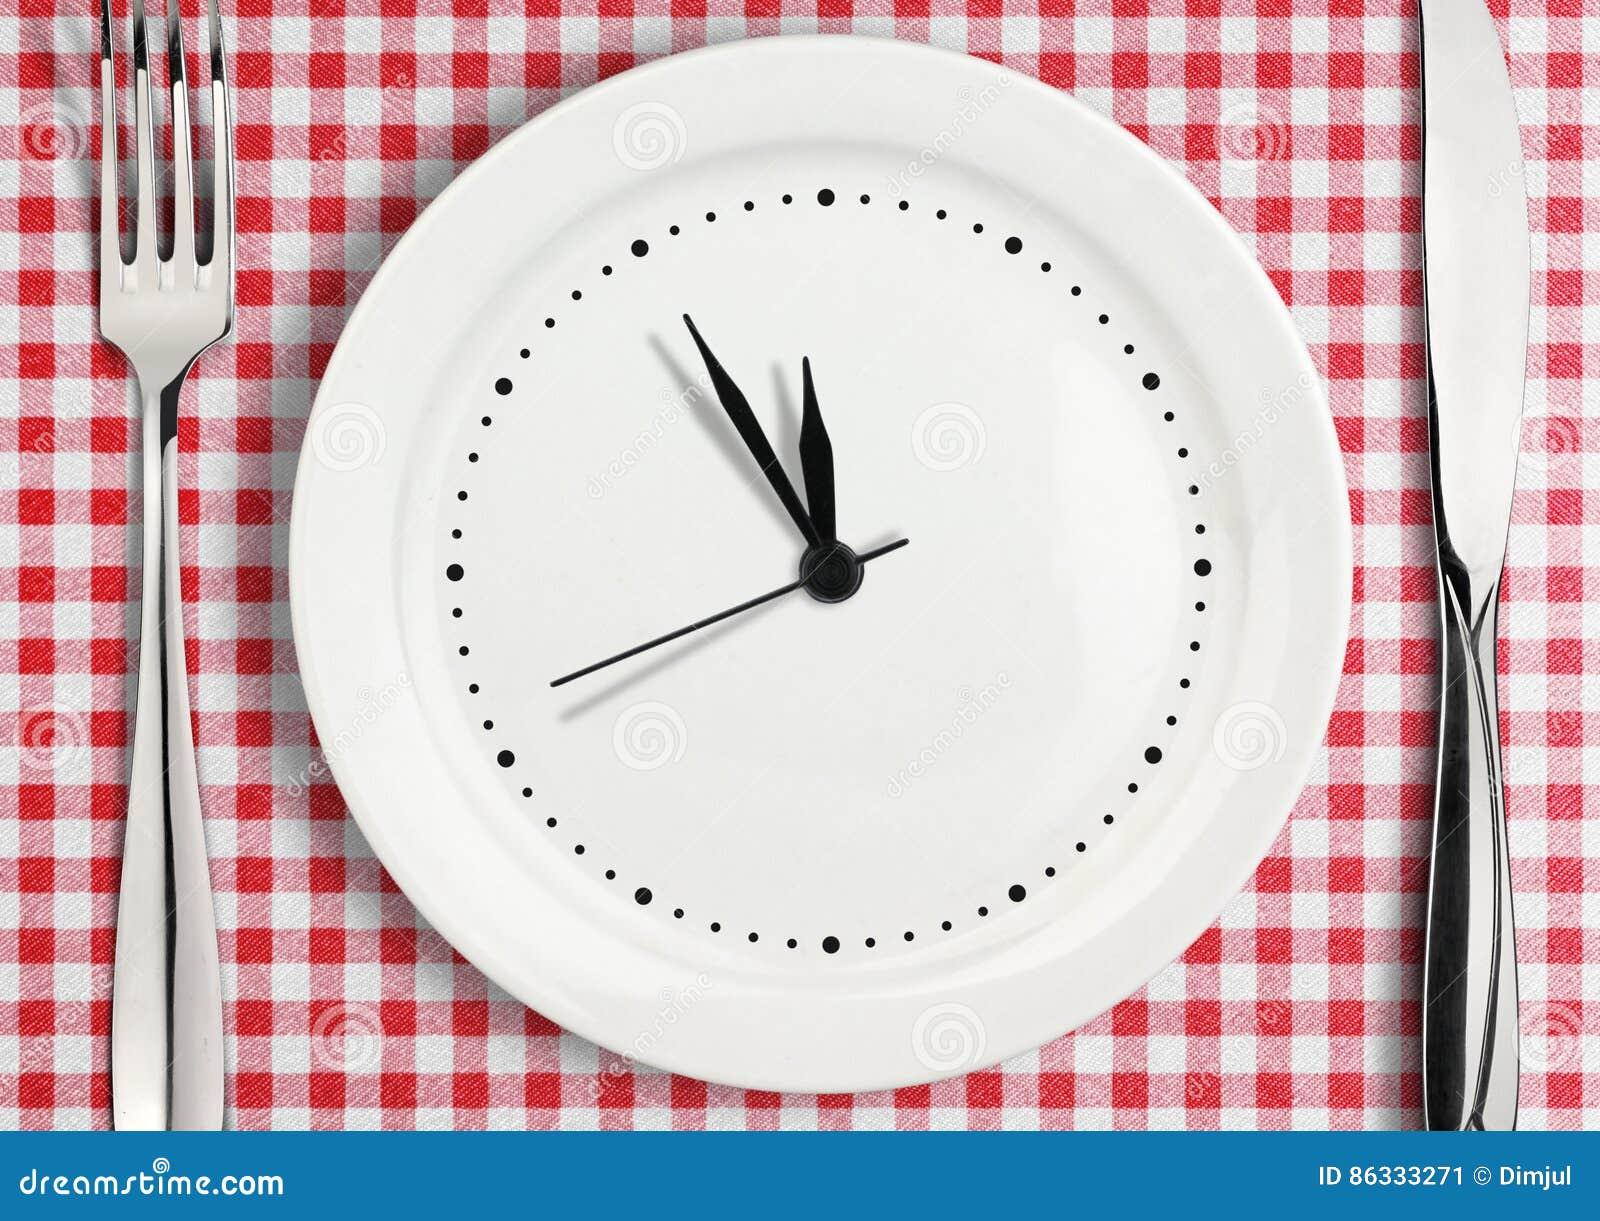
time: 11:55
